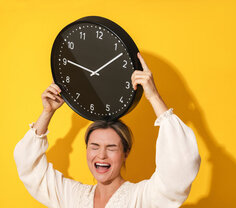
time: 9:07
